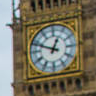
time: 12:48
